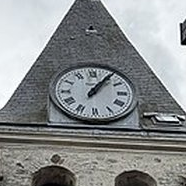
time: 1:06
